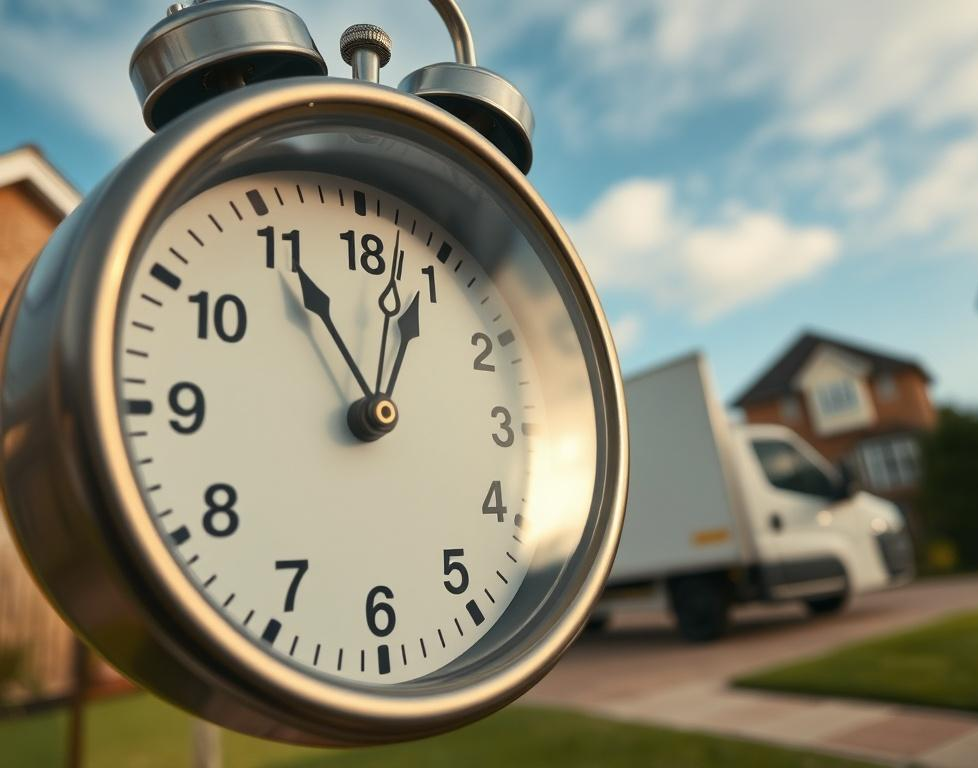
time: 11:03
